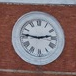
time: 2:46
